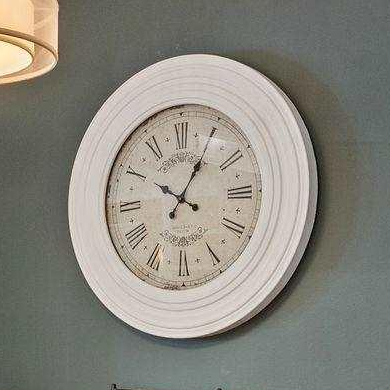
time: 10:04
